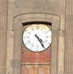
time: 4:24
